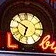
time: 6:50
